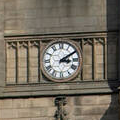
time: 3:09
